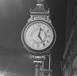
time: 12:24
